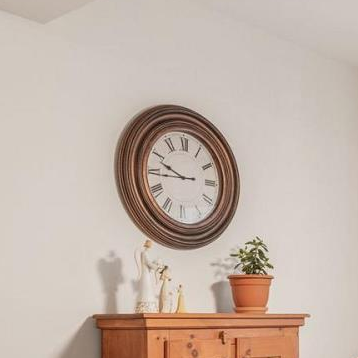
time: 9:44
